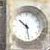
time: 10:28
